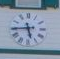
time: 5:44
